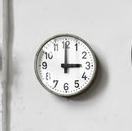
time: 3:00
